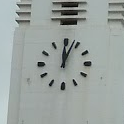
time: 12:03
